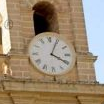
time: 4:04
